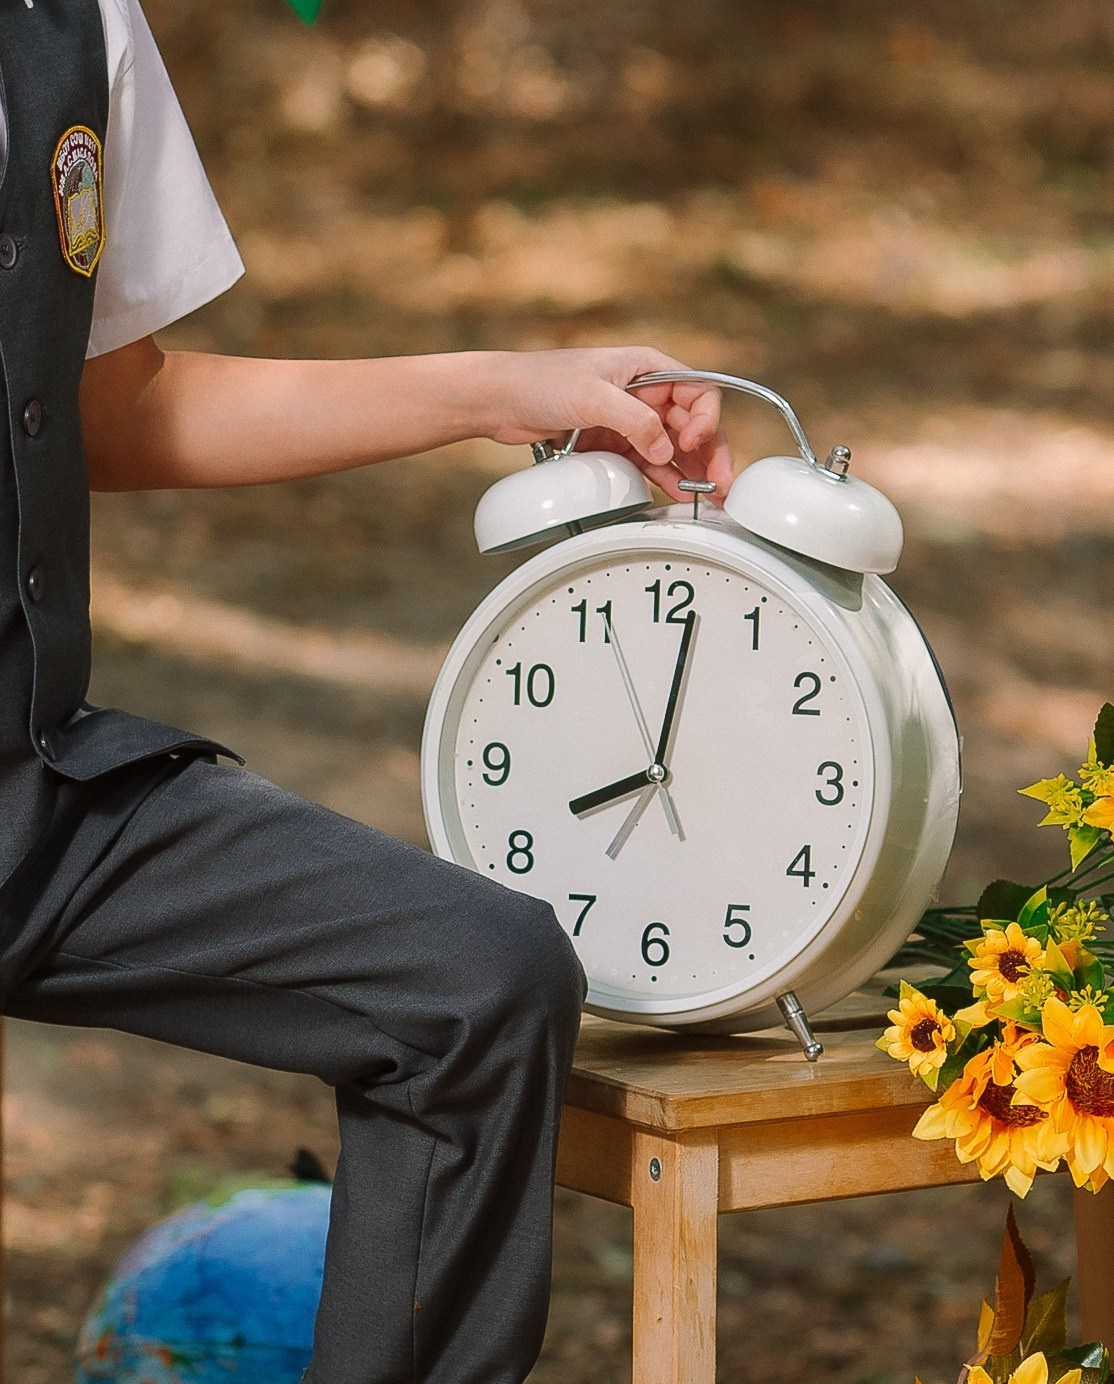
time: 8:01
